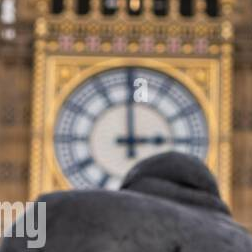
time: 2:59
